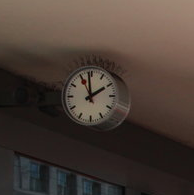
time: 1:58
